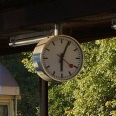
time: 6:04
